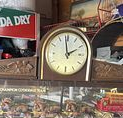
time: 1:58
